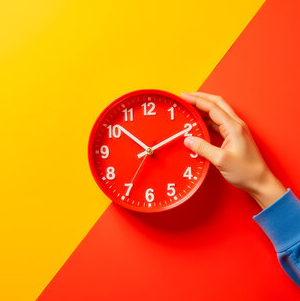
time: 10:10
